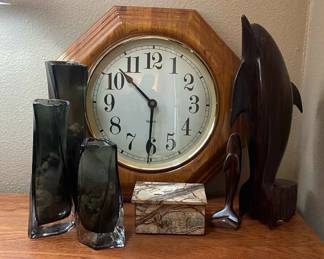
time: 10:30
